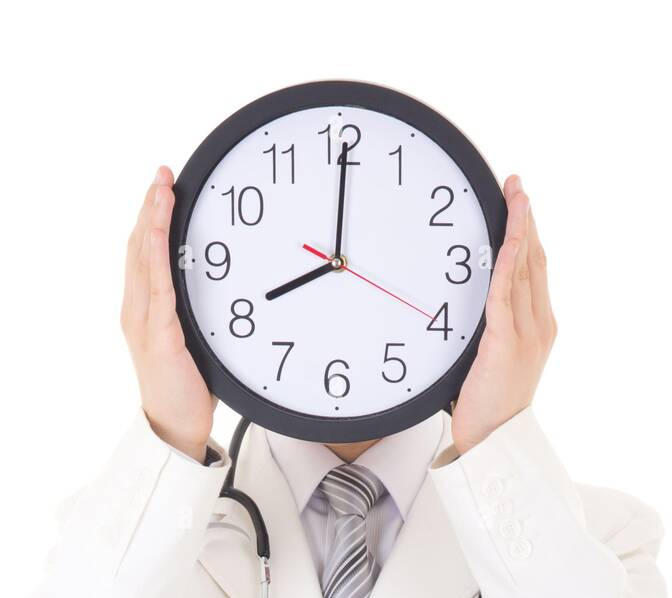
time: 8:00
